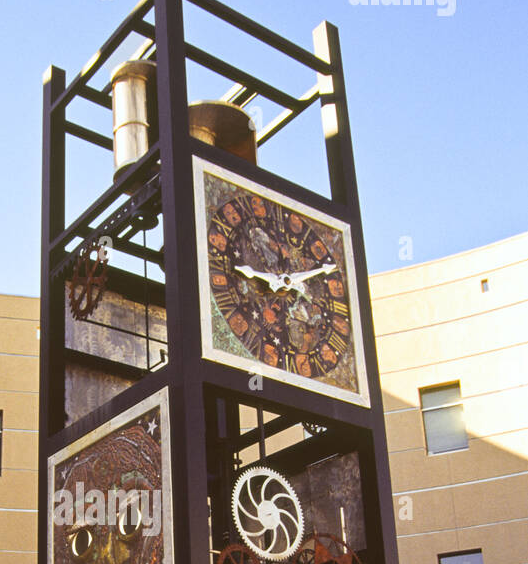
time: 9:10
